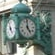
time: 4:59
